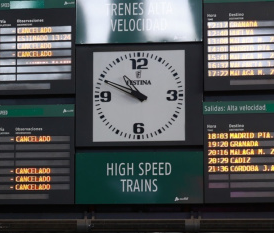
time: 10:49
